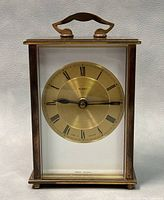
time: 9:14
